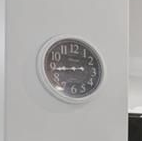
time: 8:43
